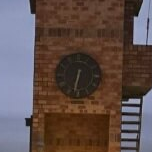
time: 6:32
